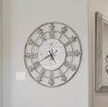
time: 4:40
